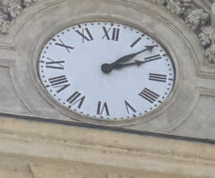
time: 2:07
